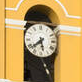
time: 5:38
